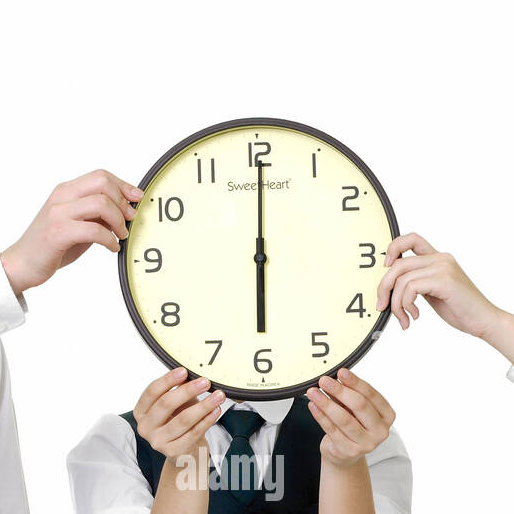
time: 6:00
